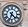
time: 4:33
